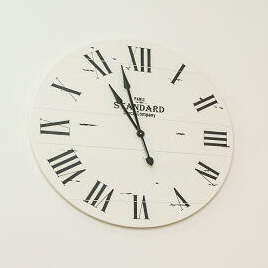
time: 10:57
